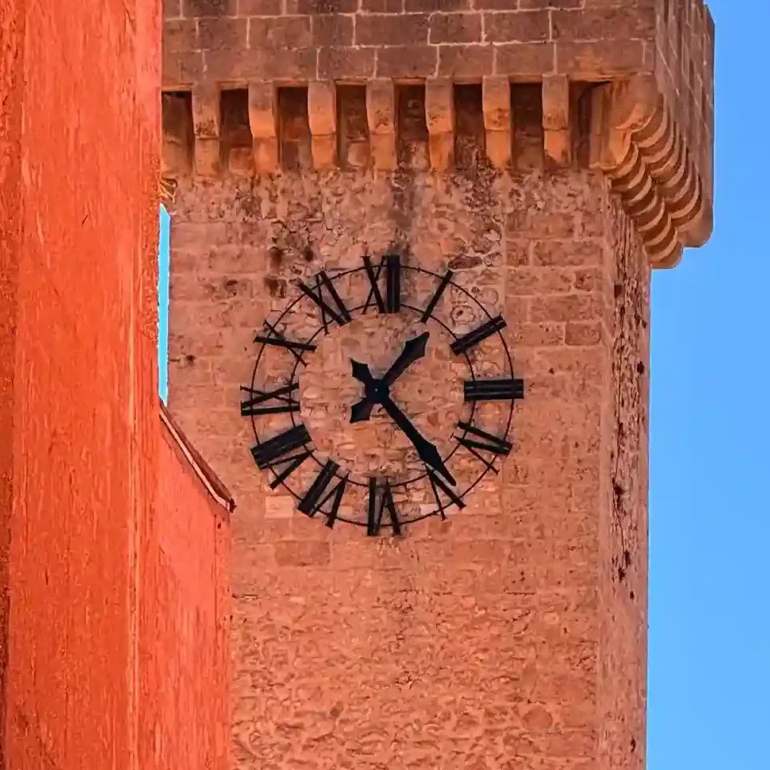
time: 1:23
